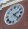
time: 2:22
